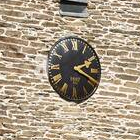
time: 2:18
